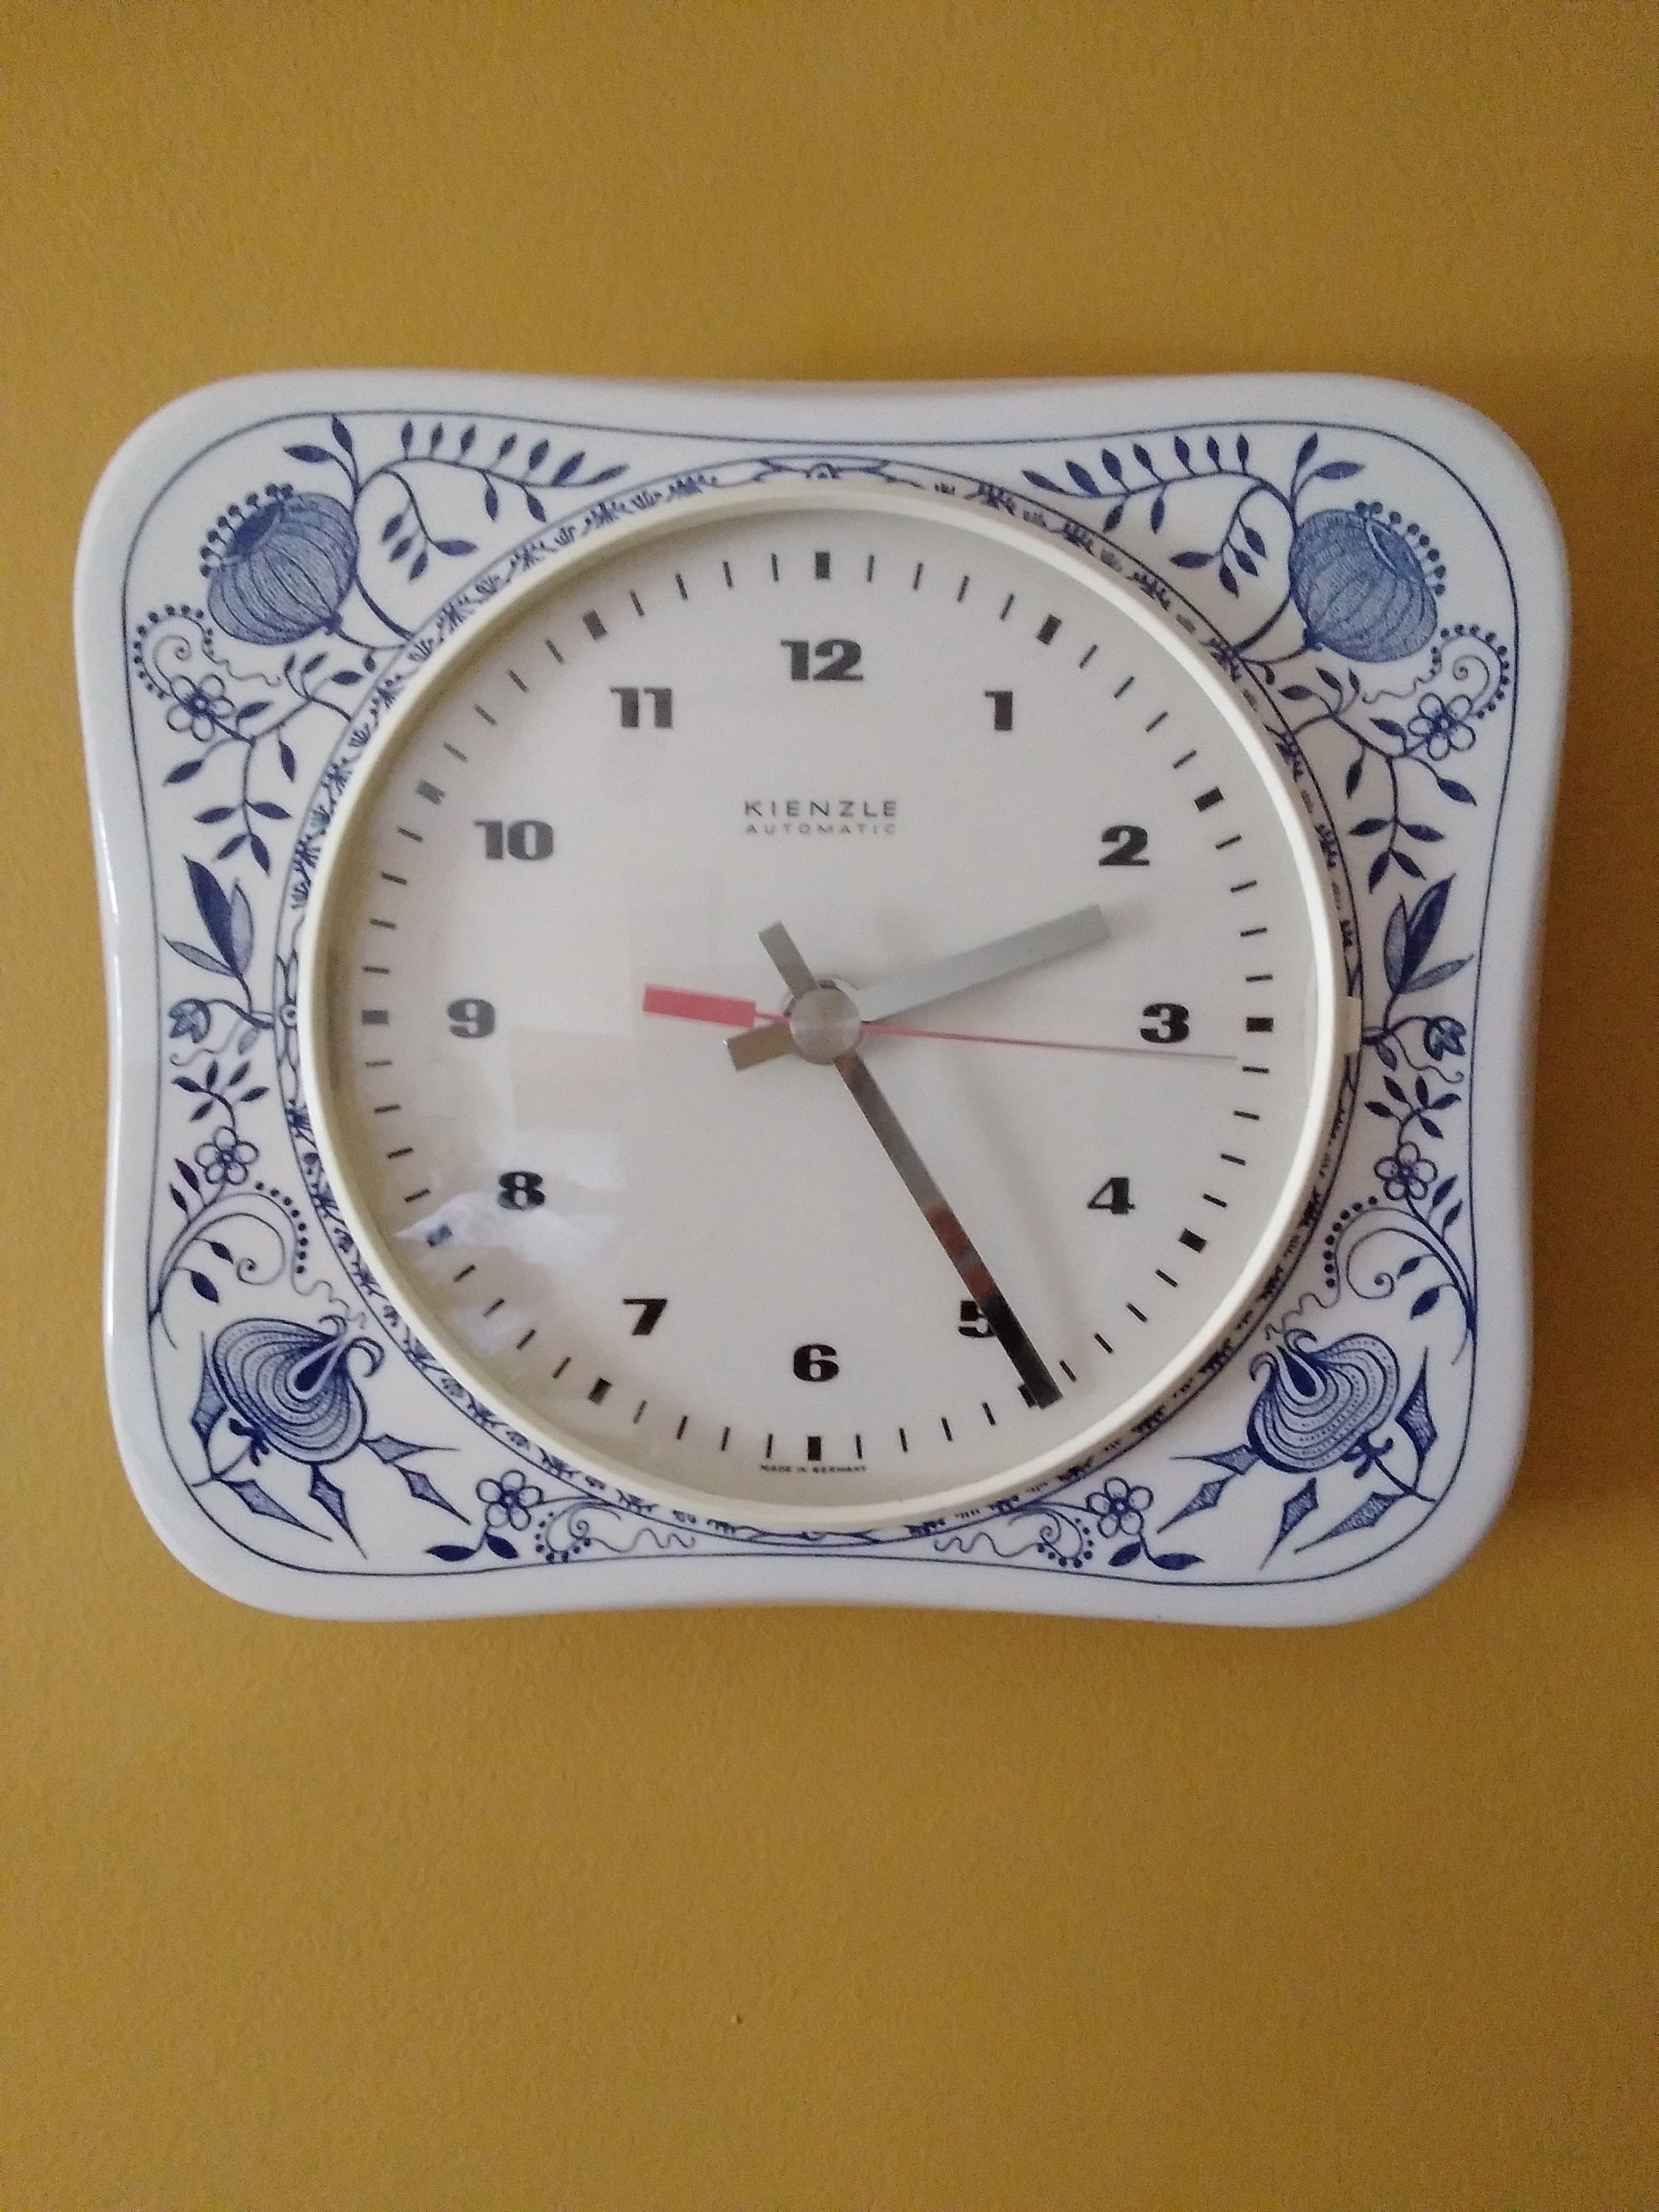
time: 2:24
